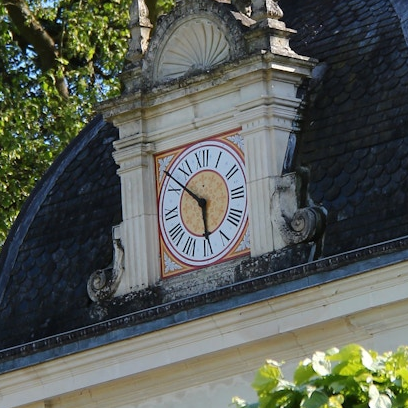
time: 5:51
